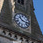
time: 10:17
